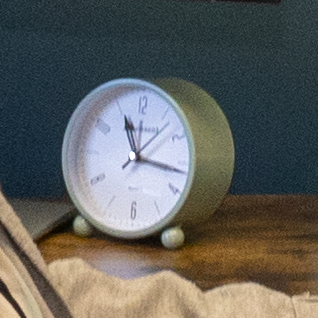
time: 11:16
